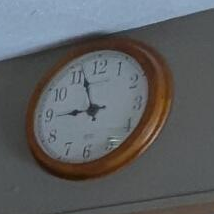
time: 8:56
